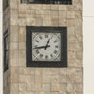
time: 12:43
